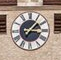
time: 1:16
